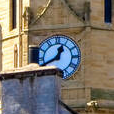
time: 12:40
